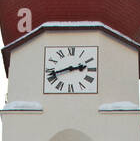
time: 2:42
